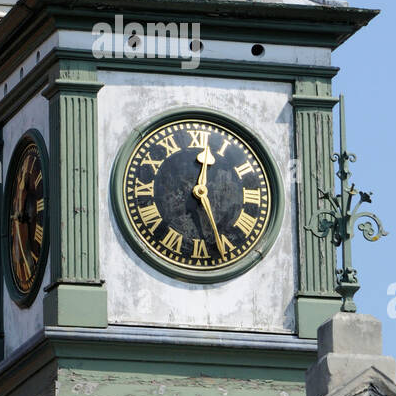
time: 12:26
